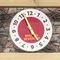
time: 4:56
